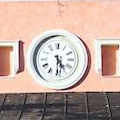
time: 4:29
